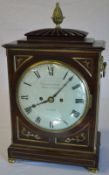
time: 8:07
